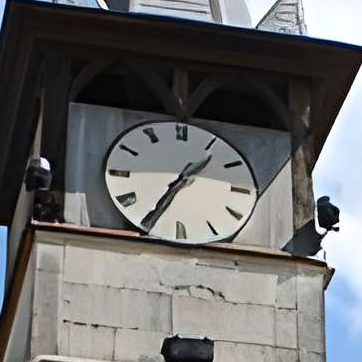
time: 1:35
